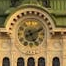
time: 5:11
